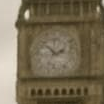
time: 1:52
